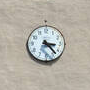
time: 3:23
